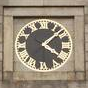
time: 4:07
